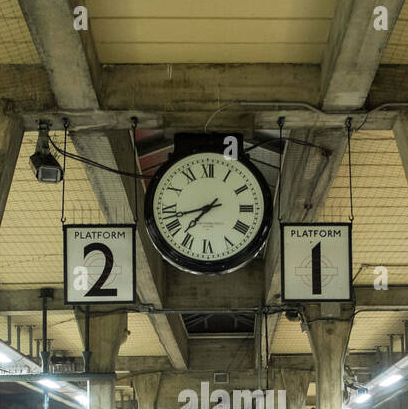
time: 7:42
